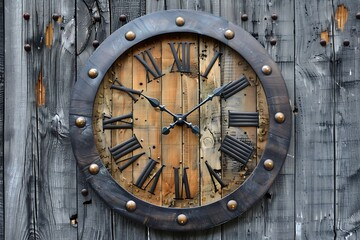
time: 1:50
